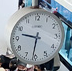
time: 9:31
